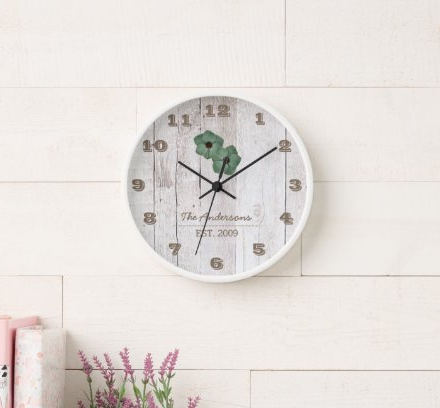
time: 12:09
